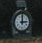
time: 3:00
